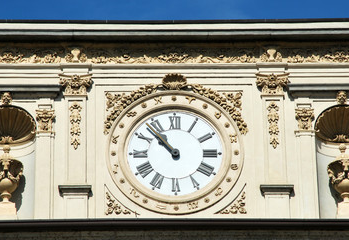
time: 10:52
